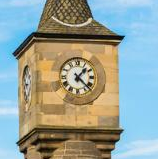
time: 1:22
